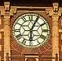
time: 6:04
